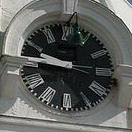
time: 9:45
